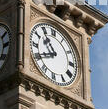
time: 10:40
